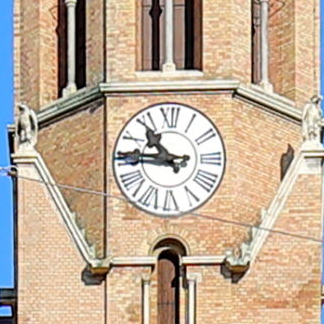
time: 10:45
